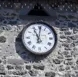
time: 11:01
